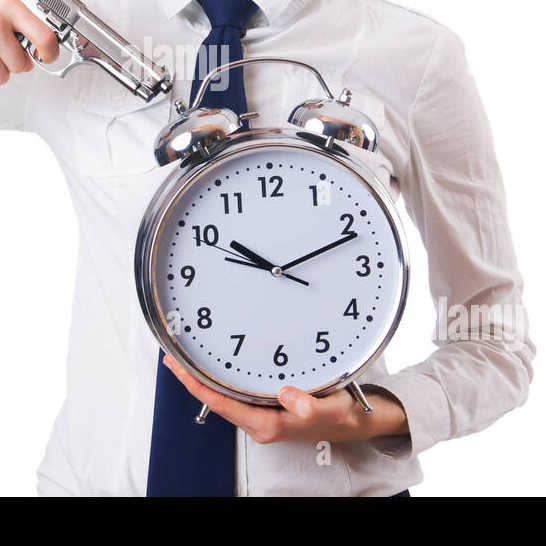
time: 10:11
